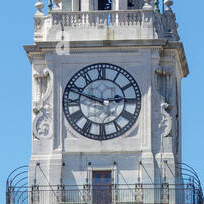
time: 2:48
